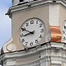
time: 8:50
